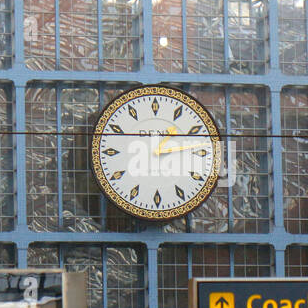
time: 1:13
